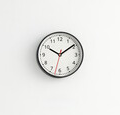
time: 1:49
